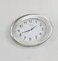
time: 1:42
